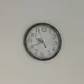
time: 9:40
